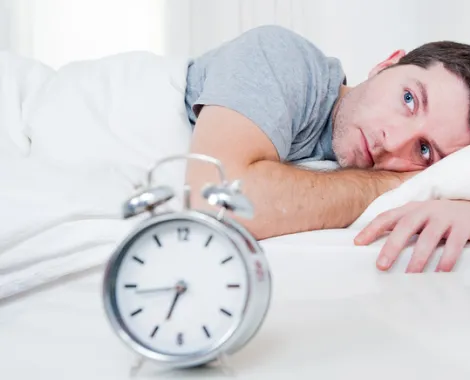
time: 6:43
